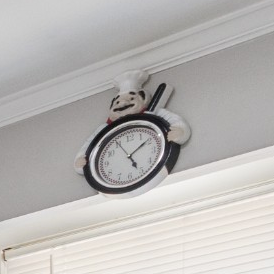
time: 5:09
